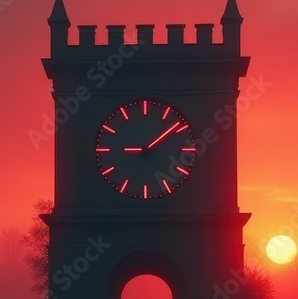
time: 9:08
